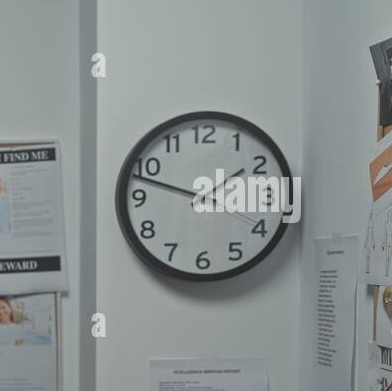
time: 1:47
